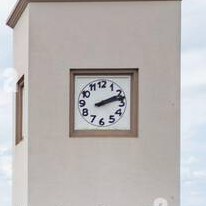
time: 2:12
